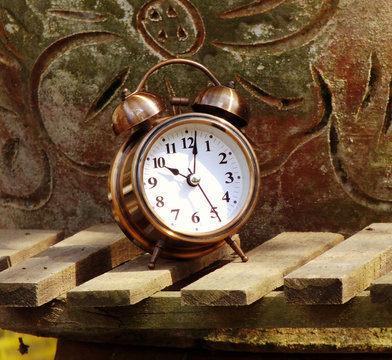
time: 10:01
